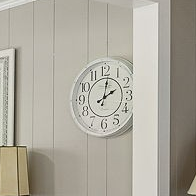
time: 2:01
